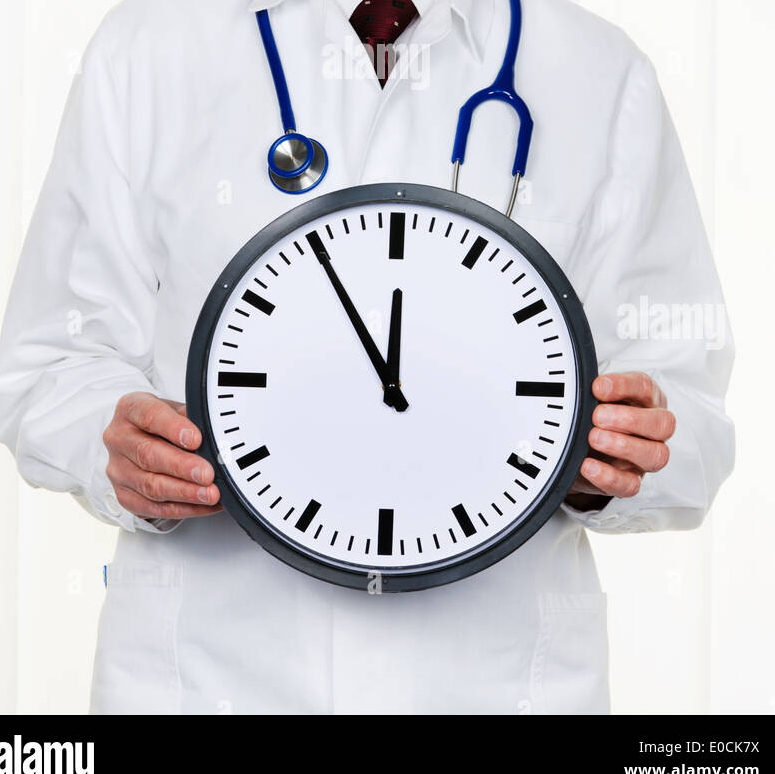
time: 11:54
